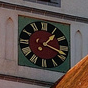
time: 1:18
